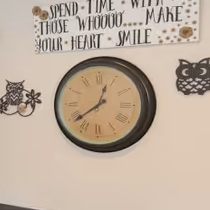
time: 12:38
